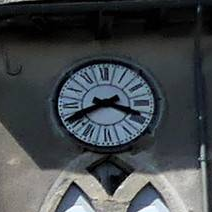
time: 3:40
